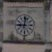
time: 9:01
